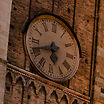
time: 5:41
